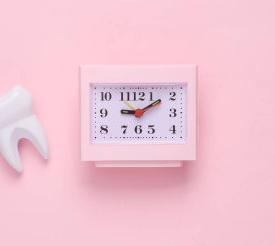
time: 9:09
